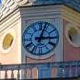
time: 3:02
